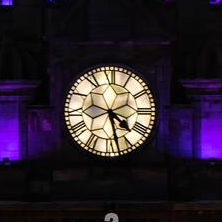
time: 4:27
